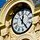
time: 12:24
